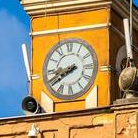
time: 8:39
